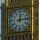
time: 12:13
